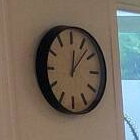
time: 12:07
